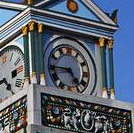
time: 4:44
